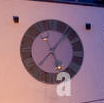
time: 5:06
